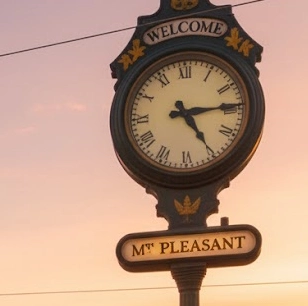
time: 5:14
